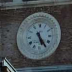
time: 5:24
